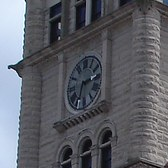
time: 2:33
